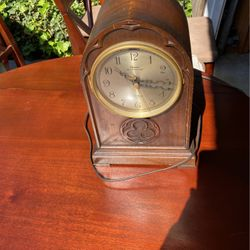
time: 10:15
